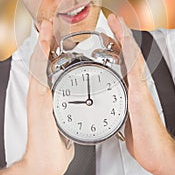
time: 9:01
